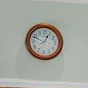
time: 12:48
